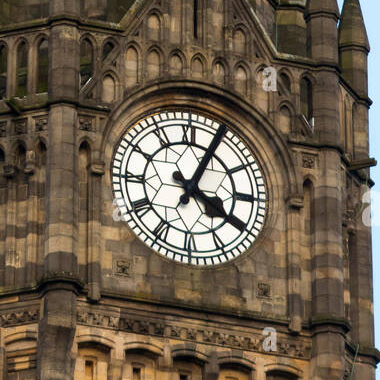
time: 4:04
